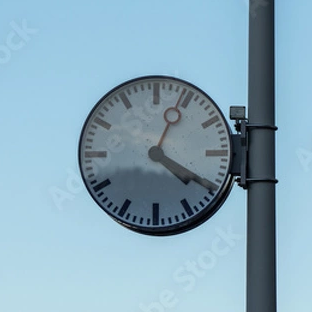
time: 4:04
